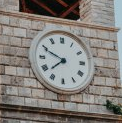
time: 7:49
